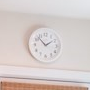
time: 1:52
